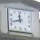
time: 11:42
